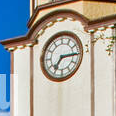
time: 7:15
